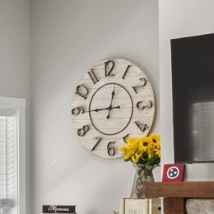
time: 12:45
